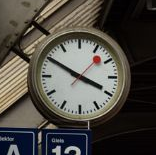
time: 3:50
